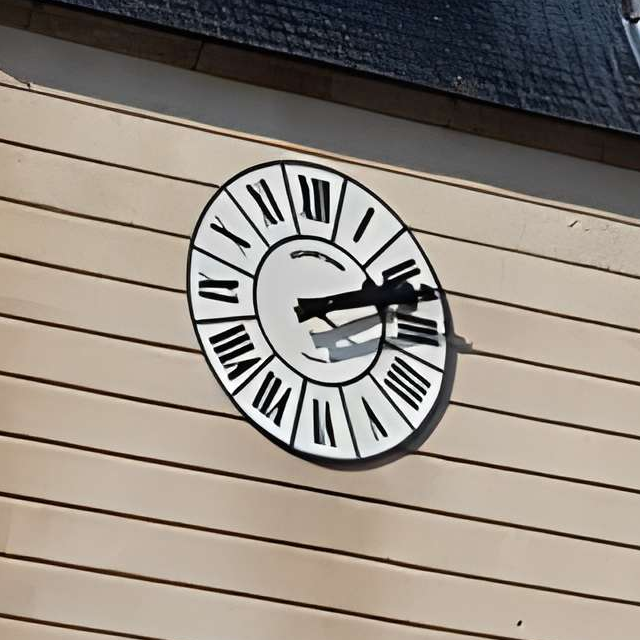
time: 2:11
